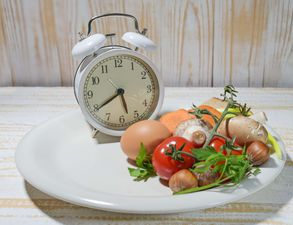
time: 5:39
